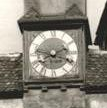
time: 2:18
